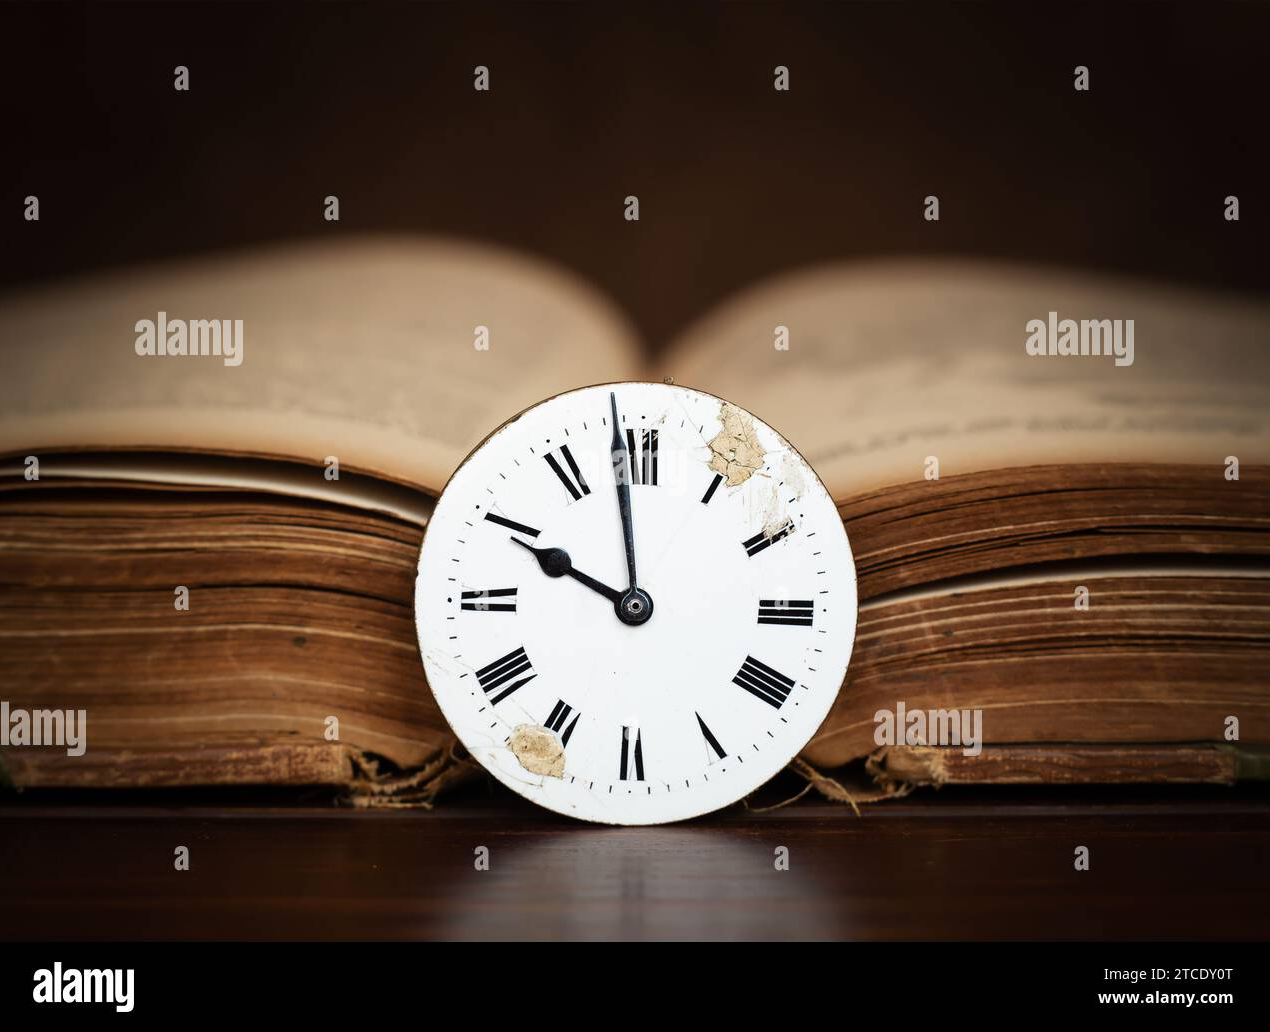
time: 9:58
